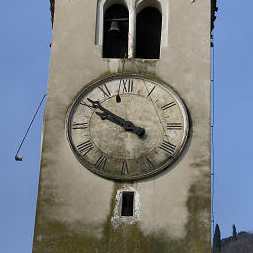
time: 9:50
